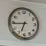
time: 6:44
